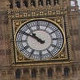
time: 10:50
